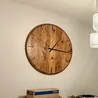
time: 1:16
